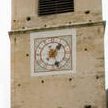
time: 1:26
